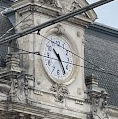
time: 10:24
